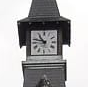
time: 10:47
